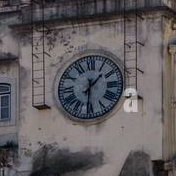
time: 1:30
